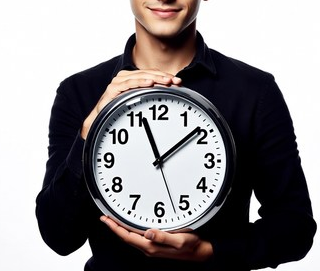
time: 11:08
